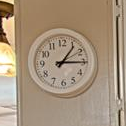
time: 1:14
